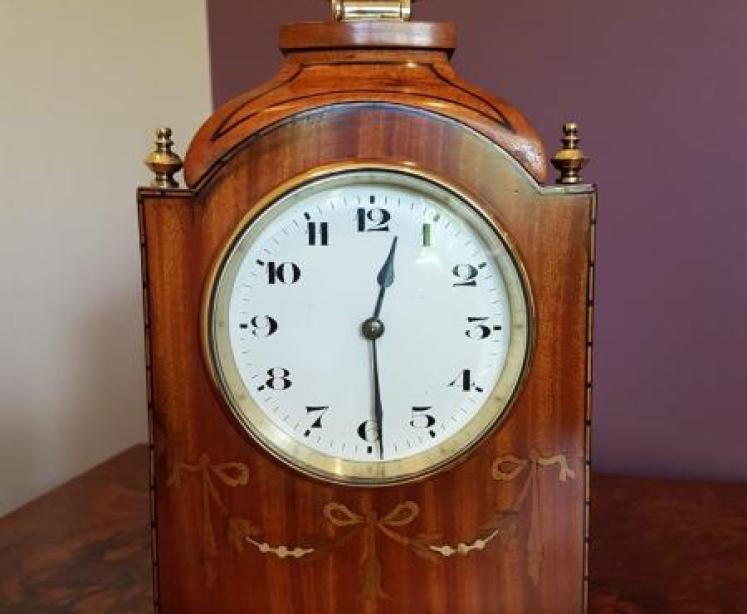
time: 12:29
